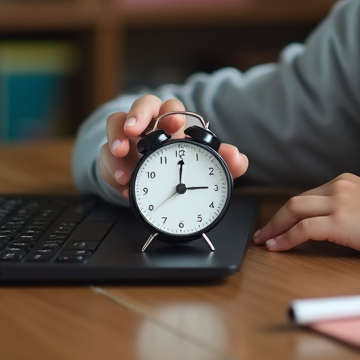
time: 3:01
